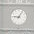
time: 9:05
